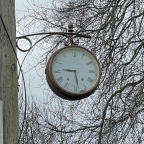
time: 9:28
